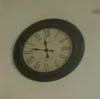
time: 11:46
